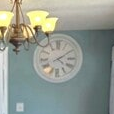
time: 4:09
